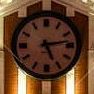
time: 5:13
